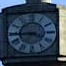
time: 3:44
